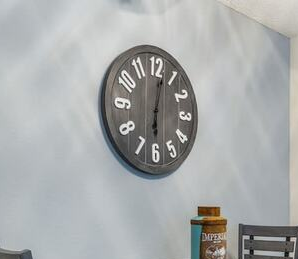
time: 6:01
